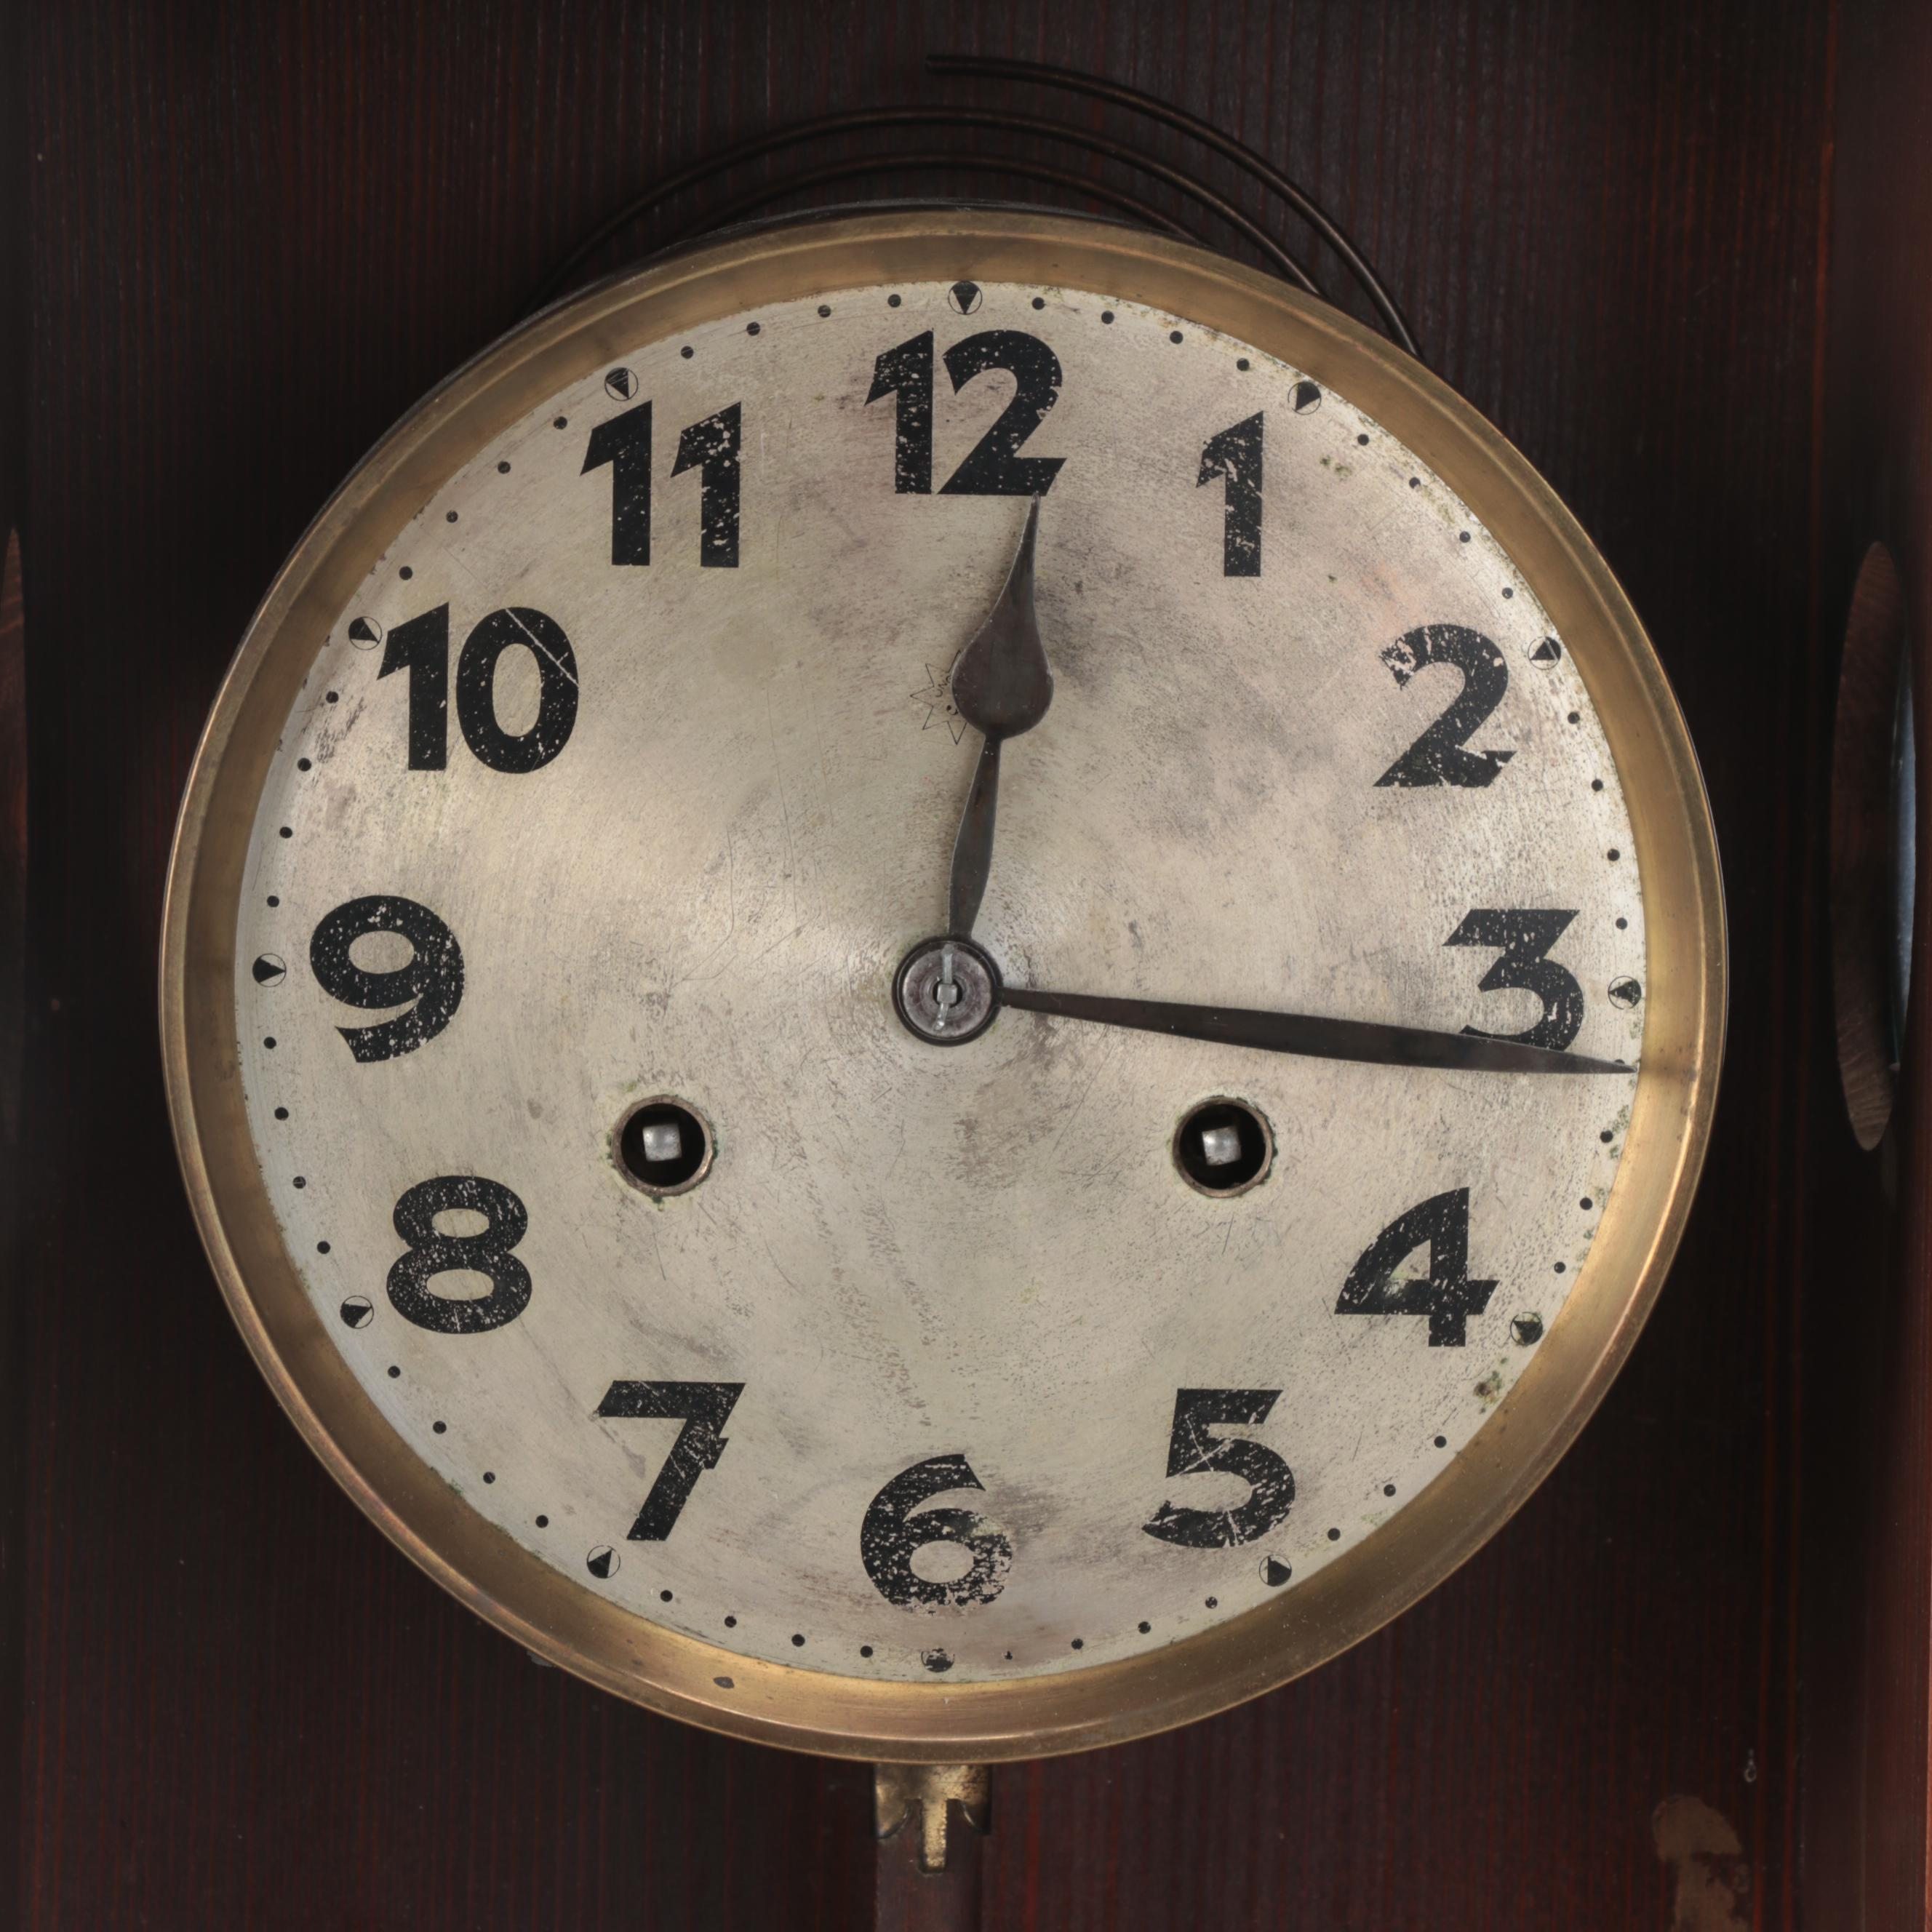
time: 12:16
